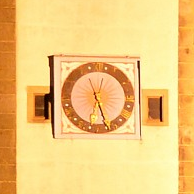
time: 12:26
